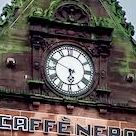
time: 5:49
